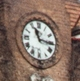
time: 11:15
